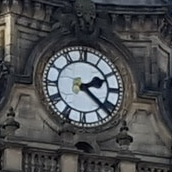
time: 2:21
